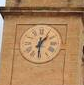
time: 1:30
